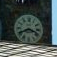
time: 3:40
